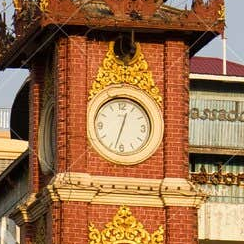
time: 12:32
